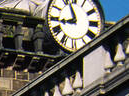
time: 8:56
